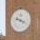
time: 3:47
